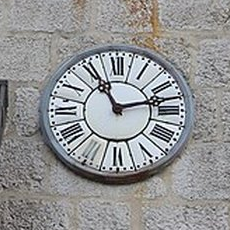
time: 11:12
